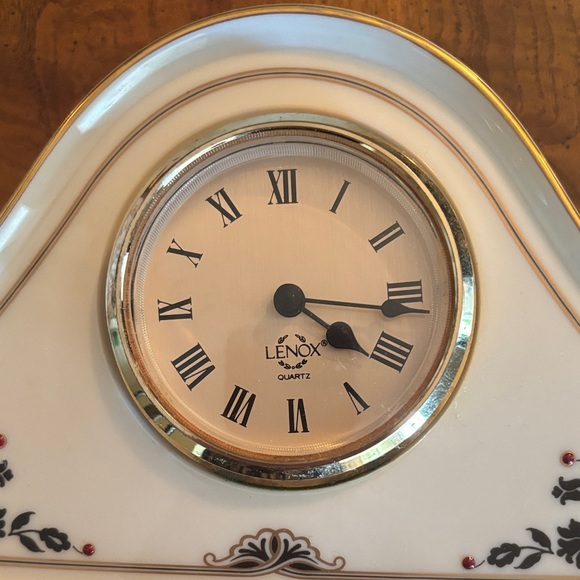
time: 4:16
